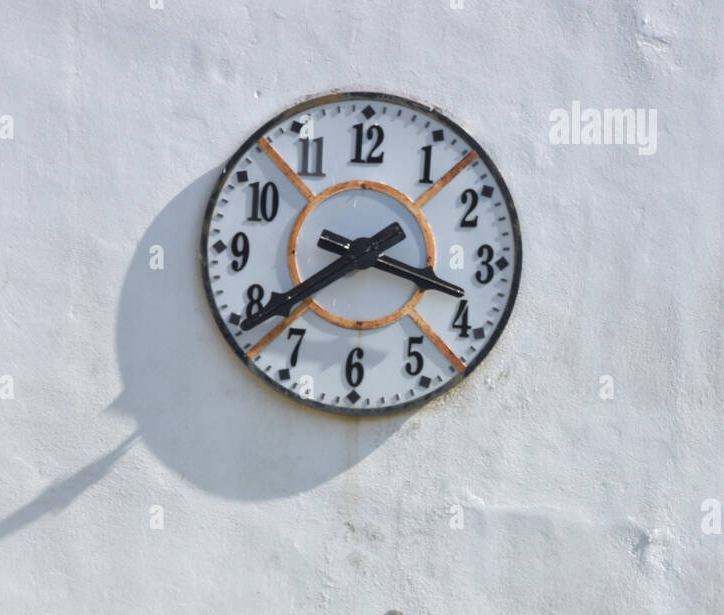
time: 3:39
